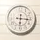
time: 6:16
